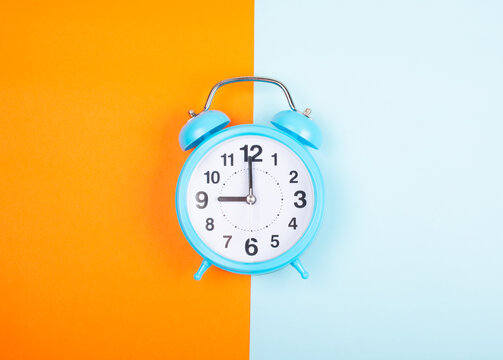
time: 9:00
